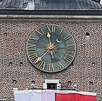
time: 11:37
